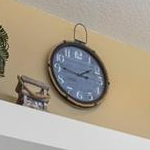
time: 1:46
